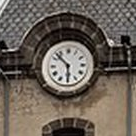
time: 5:52
